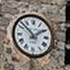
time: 1:52
